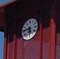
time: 5:45
